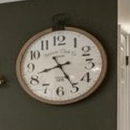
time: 8:24
